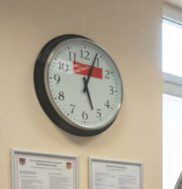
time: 5:03
